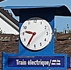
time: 9:35
